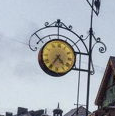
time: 4:35
